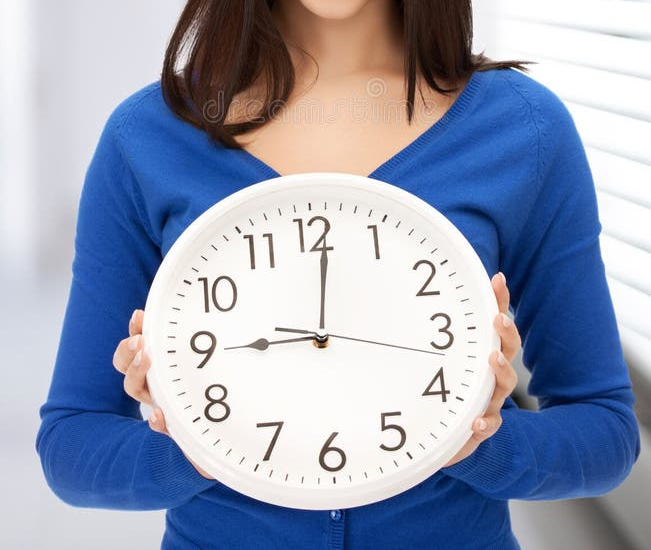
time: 9:01
